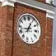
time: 12:42
